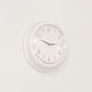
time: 2:48
